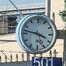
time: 3:46
